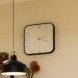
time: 2:18
